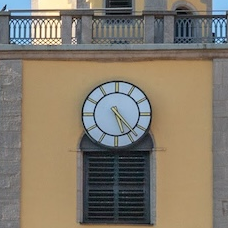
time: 5:23
